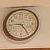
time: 4:45
